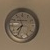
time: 7:33
